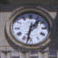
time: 1:32
